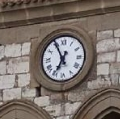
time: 6:55
